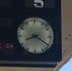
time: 8:20
